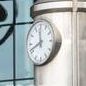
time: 11:41
